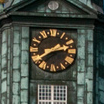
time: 2:40
